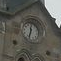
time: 11:32
